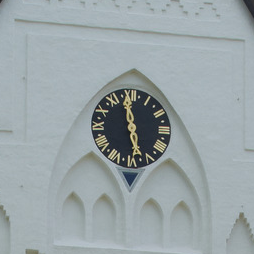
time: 5:59
